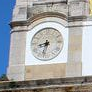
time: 8:32
